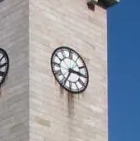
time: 2:34
